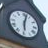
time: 6:02
